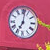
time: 7:01
